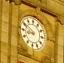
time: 8:50
